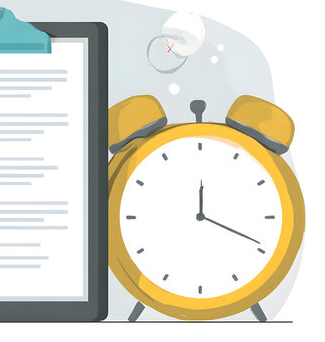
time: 12:19
